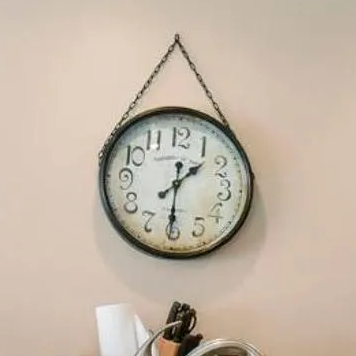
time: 1:30
